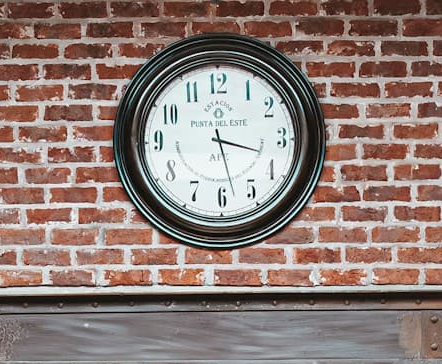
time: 3:27
